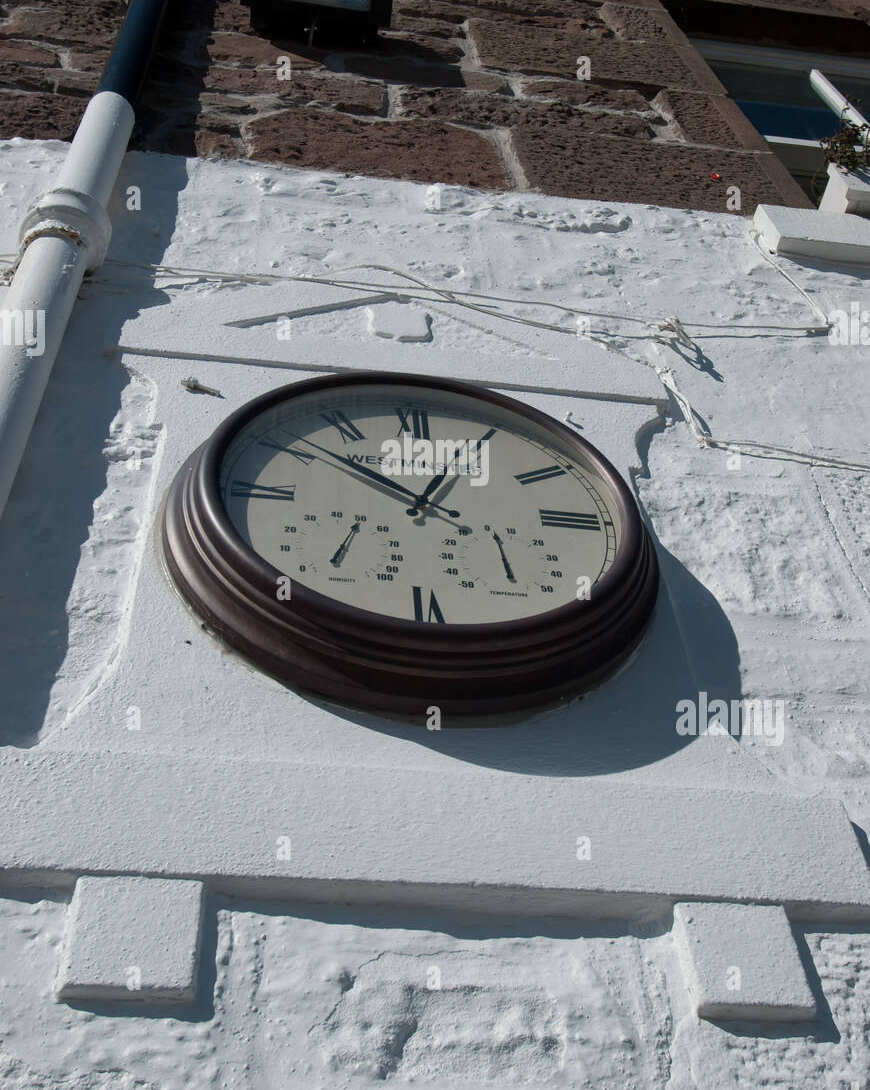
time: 12:52
